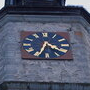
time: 4:33
